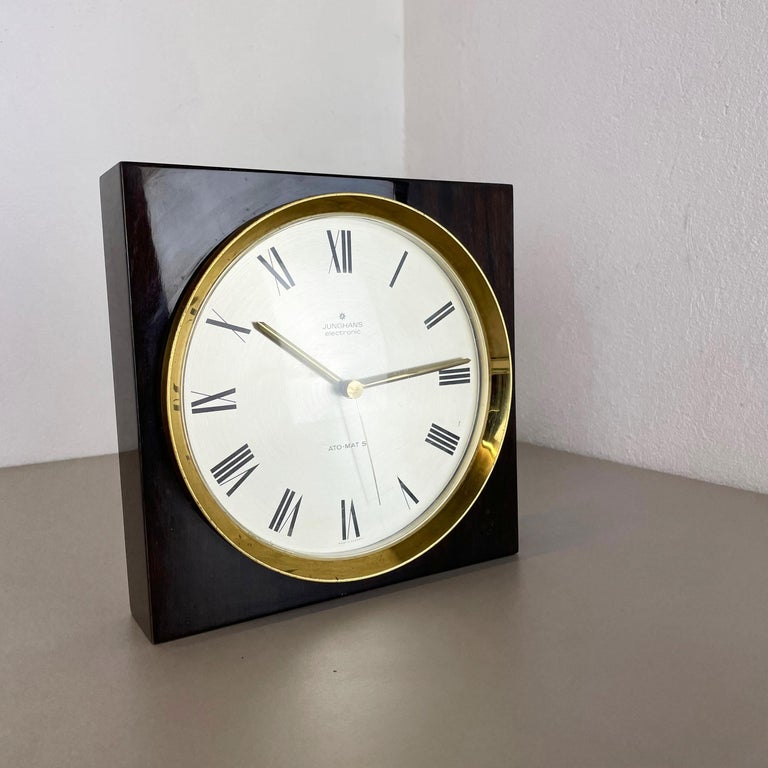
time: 10:13
